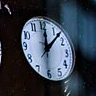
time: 12:07
